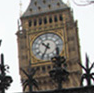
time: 10:34
